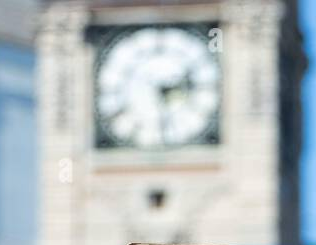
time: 2:29
